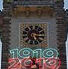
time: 5:14
